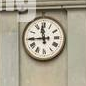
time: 11:44
